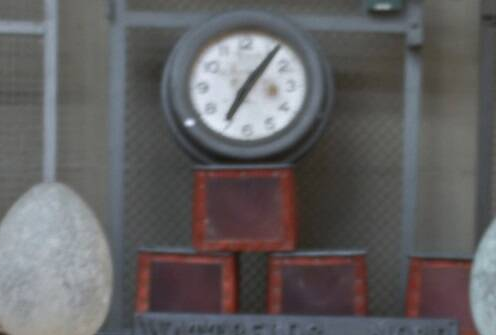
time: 7:06
